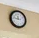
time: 11:46
